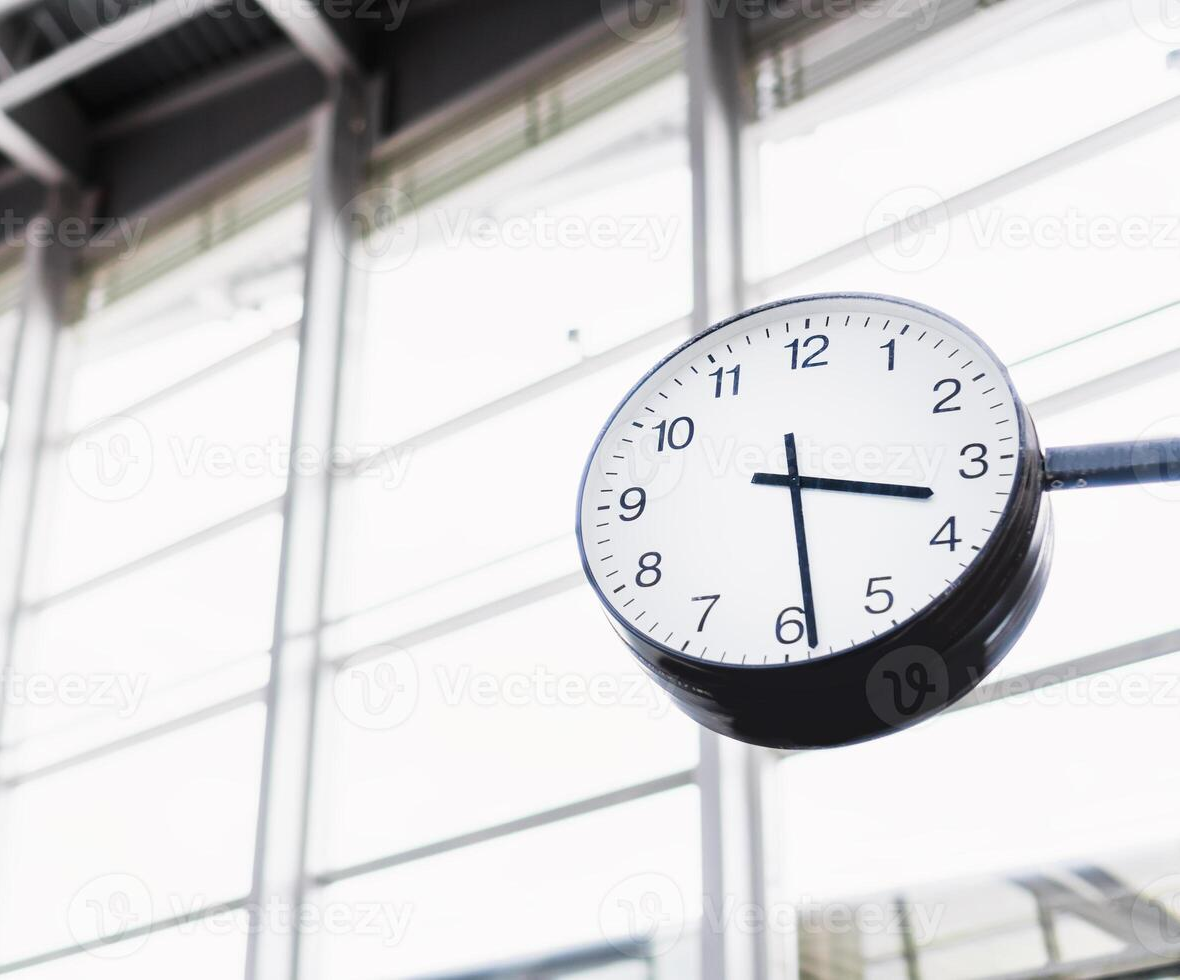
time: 3:28
